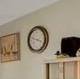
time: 3:47
